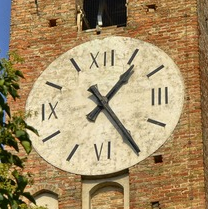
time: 1:24
